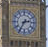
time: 2:35
